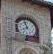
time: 7:57
